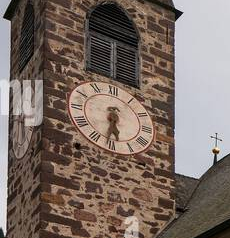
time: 5:31
